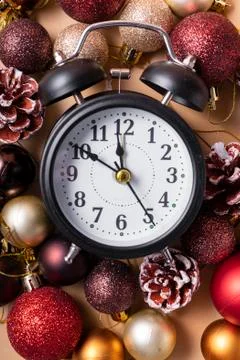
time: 11:50
